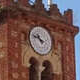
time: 10:47
